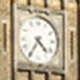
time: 4:35
